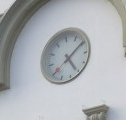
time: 5:09
